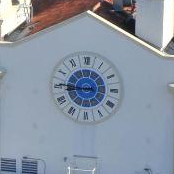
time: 8:45
